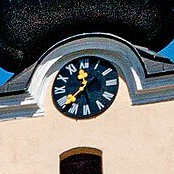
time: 11:37
